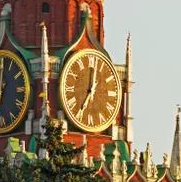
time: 7:01
